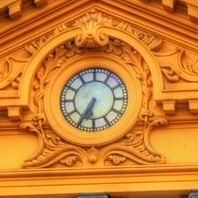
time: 6:34
